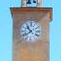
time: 10:39
